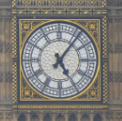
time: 5:06
